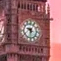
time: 9:31
